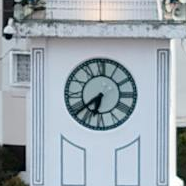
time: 6:38
